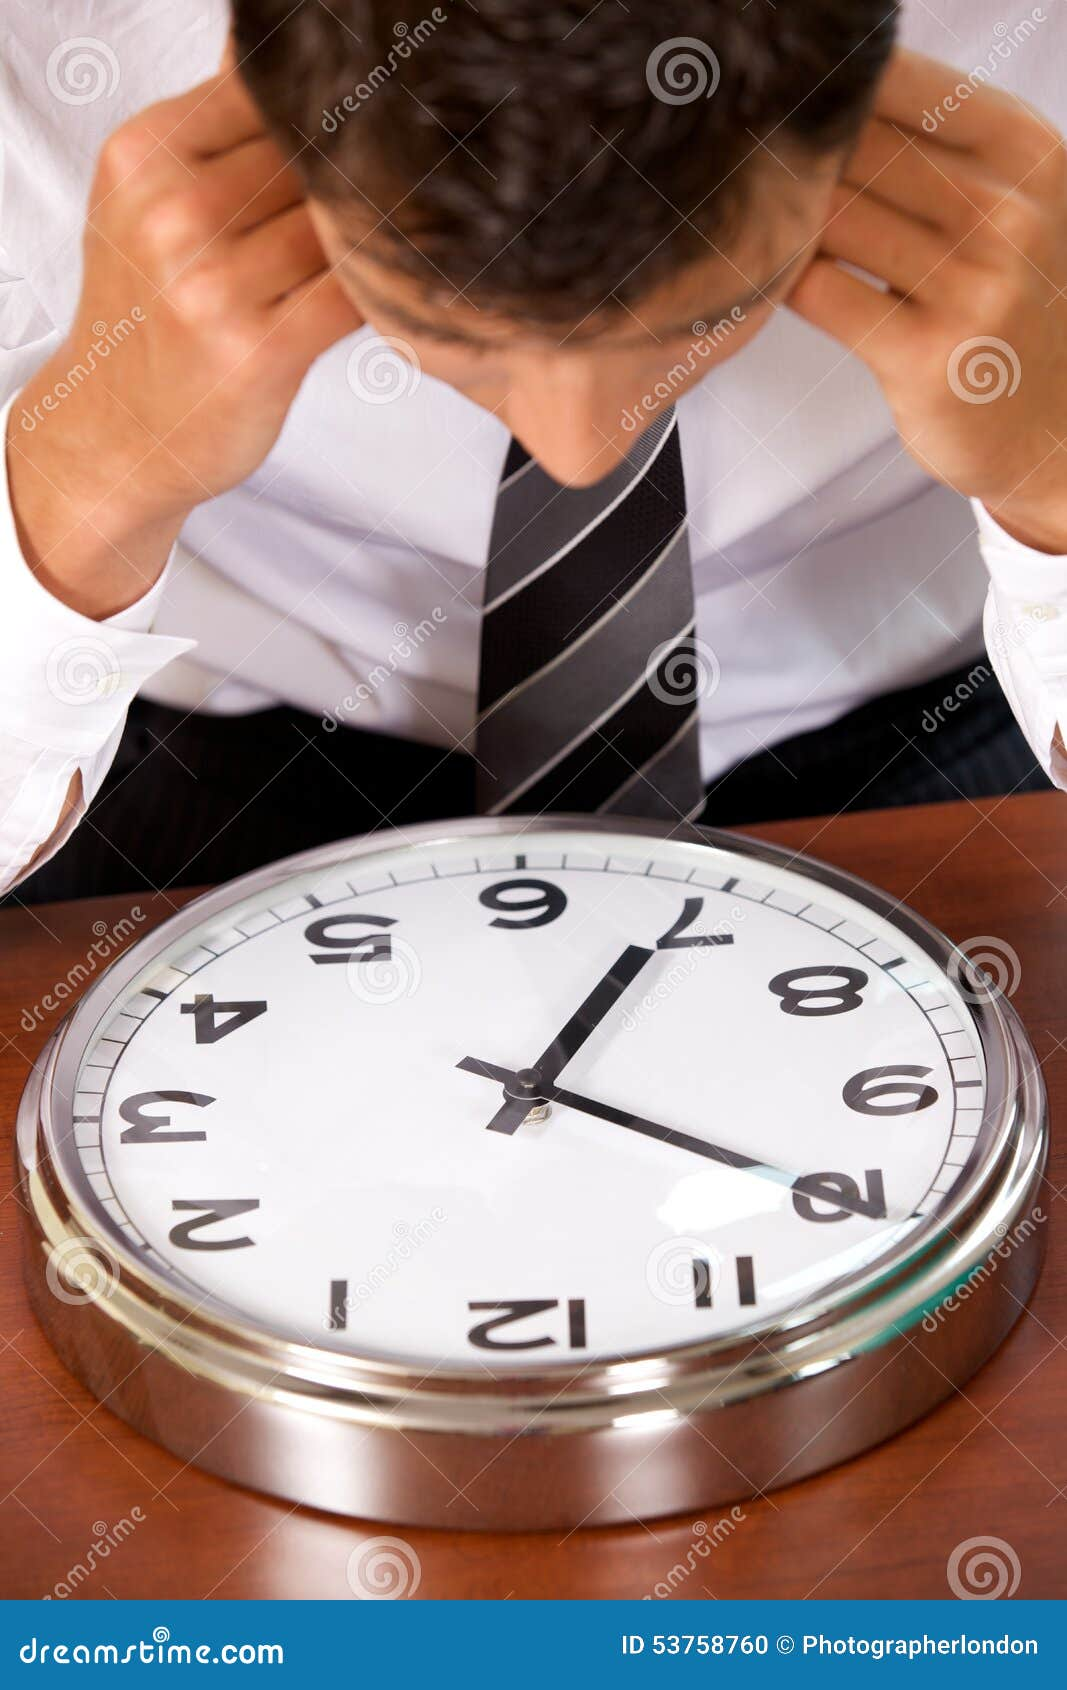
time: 4:04
